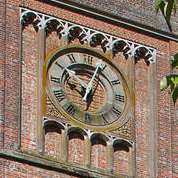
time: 10:03
